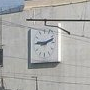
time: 9:11
